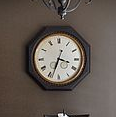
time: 3:33
